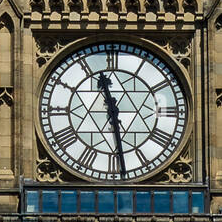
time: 11:28
